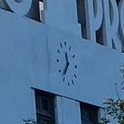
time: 11:36
